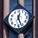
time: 12:26
